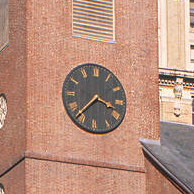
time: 3:37
